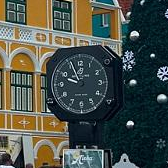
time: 9:56
